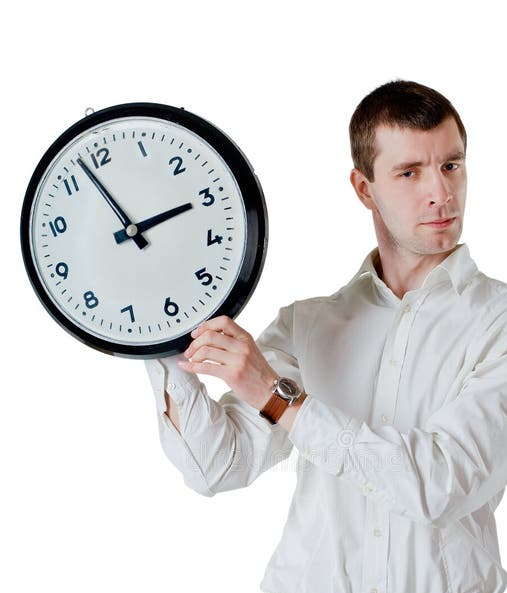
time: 2:57
